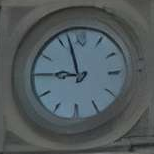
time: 8:57
